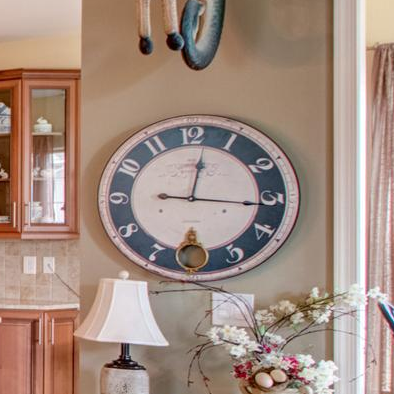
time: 12:16
